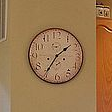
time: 1:35
